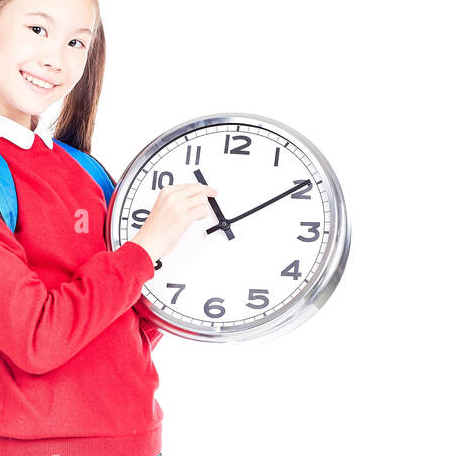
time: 11:09
